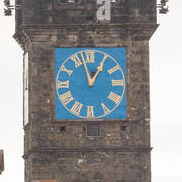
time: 12:57
